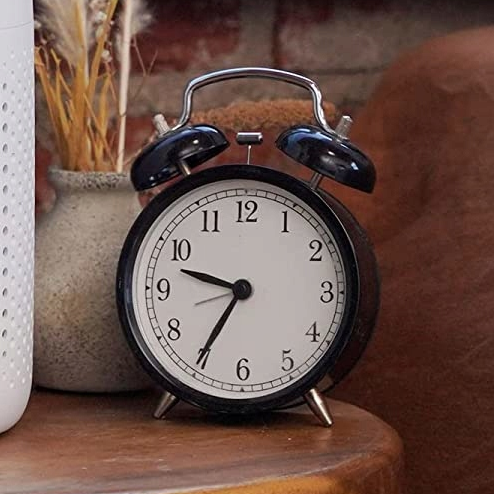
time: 9:35
